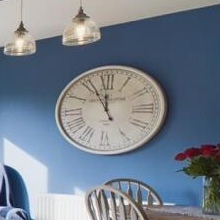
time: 11:55
